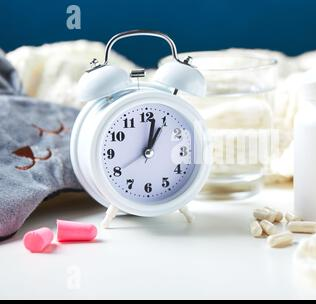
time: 1:01
